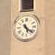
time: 5:21
